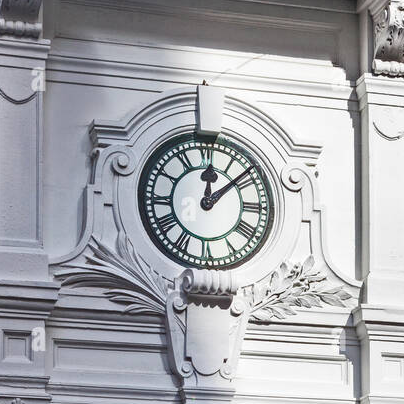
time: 12:08
